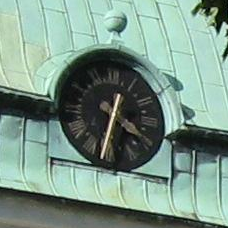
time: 12:32
